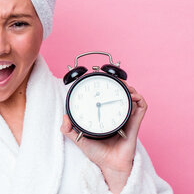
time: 6:14
